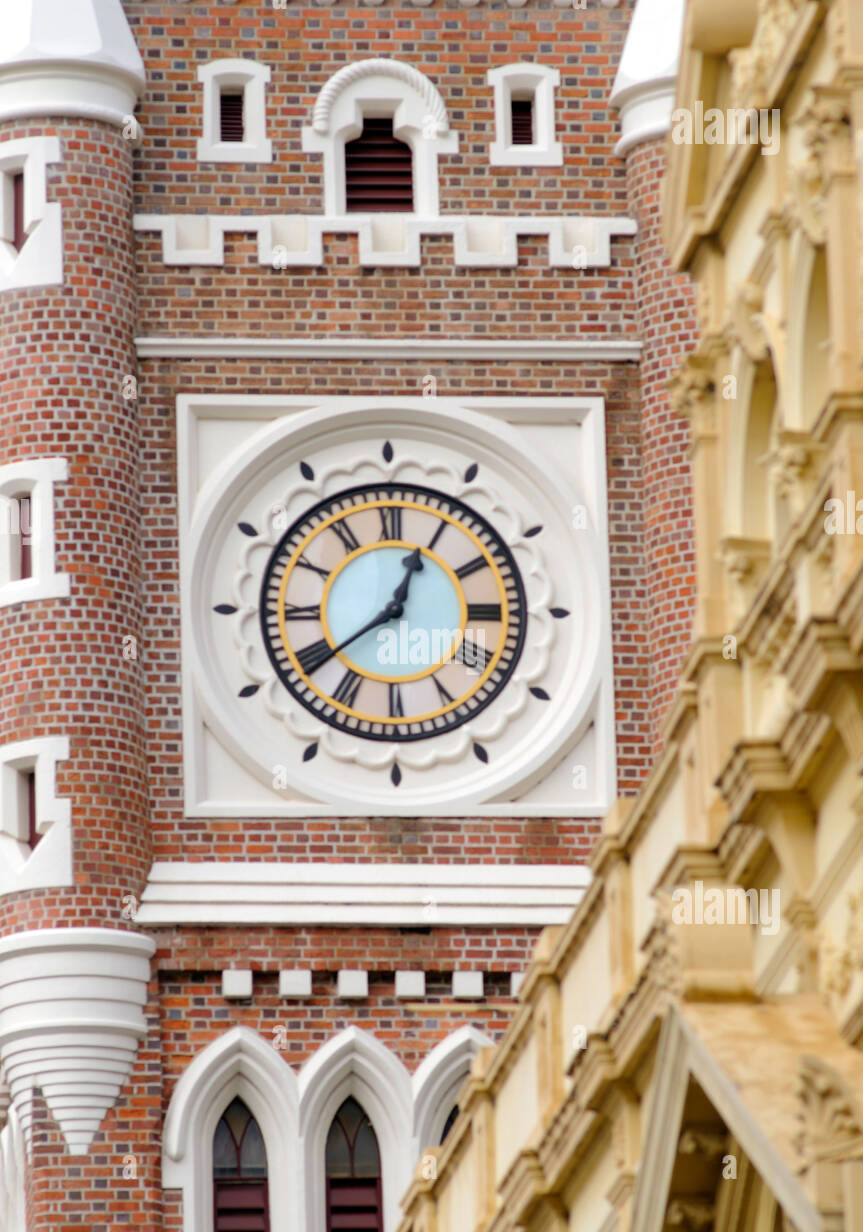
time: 12:39
